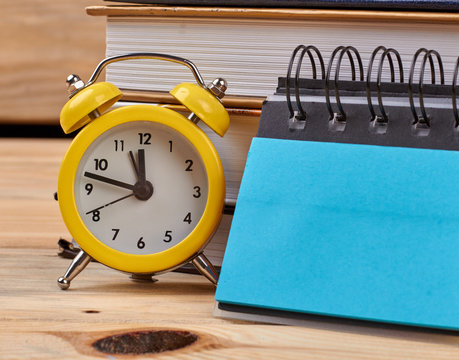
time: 11:47
